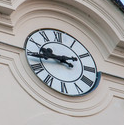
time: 9:44
